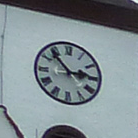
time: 2:53
